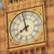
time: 7:58
